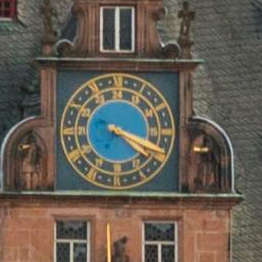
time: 4:18
